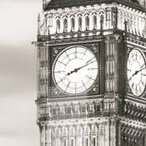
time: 8:11
